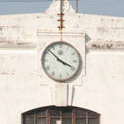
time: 3:52
